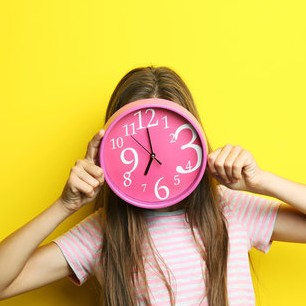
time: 6:59
